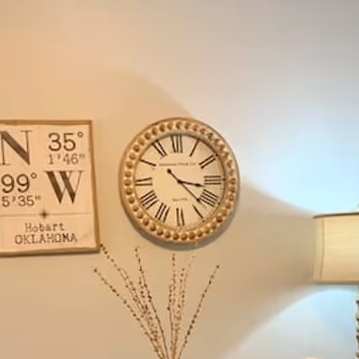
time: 3:22
